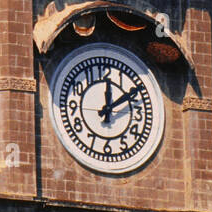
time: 12:09
